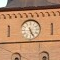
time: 5:26
